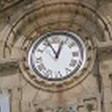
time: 12:55
